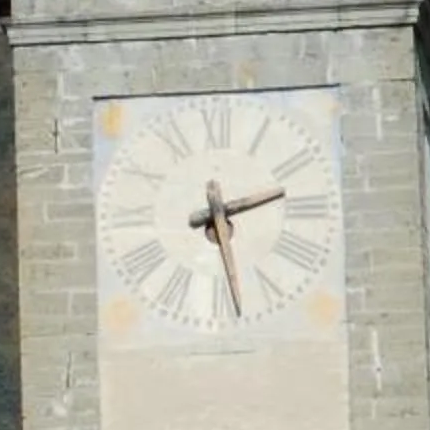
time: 2:28
